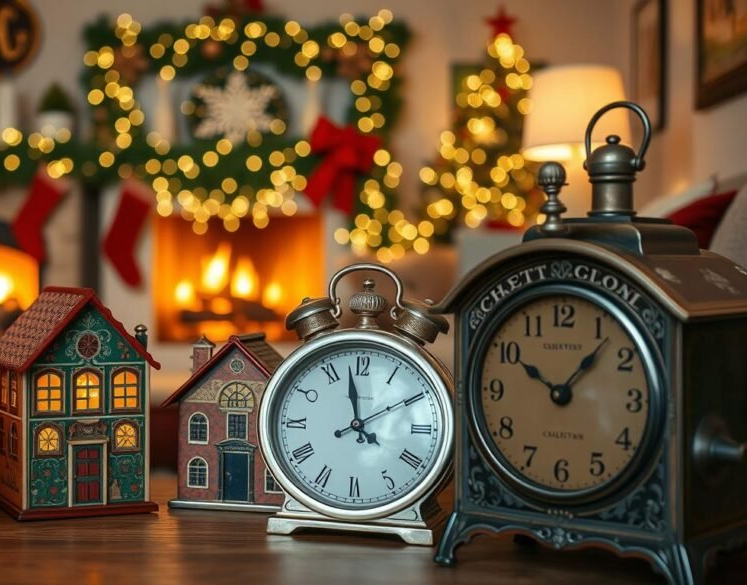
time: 10:07
